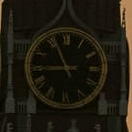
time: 8:56
